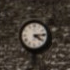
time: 4:13
